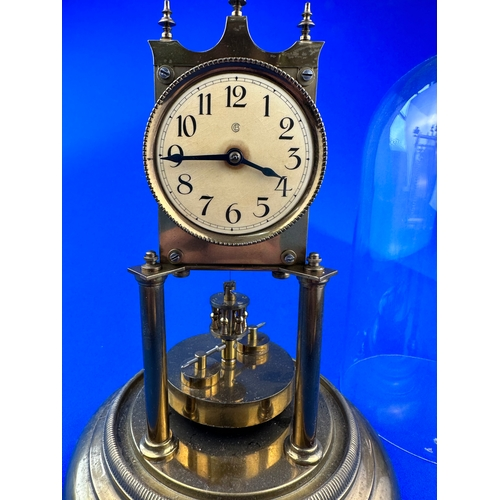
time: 3:44
